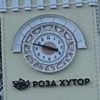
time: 3:47
